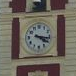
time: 4:16
